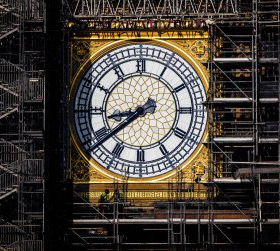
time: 8:38
